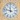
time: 11:47
